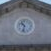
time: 10:32
